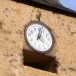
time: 4:02
